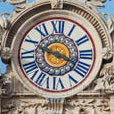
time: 3:48
